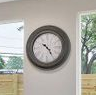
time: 10:24
